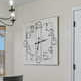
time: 2:32
